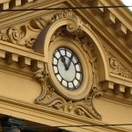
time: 11:05
